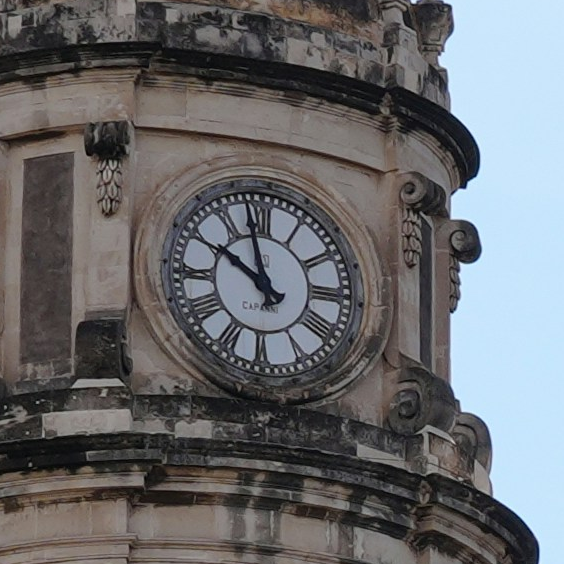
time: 9:57
